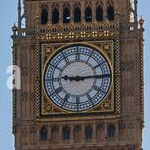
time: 9:14
